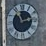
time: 2:56
